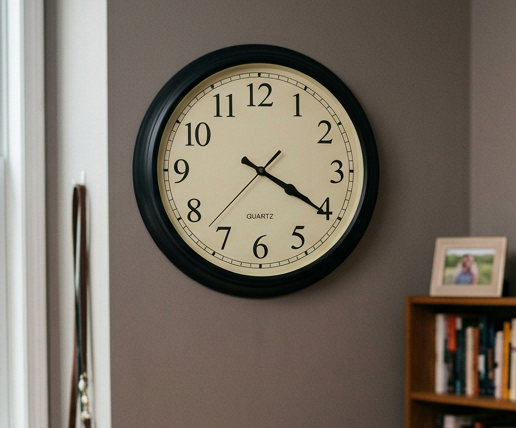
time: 4:20
